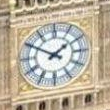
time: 1:50
